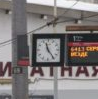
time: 11:23
